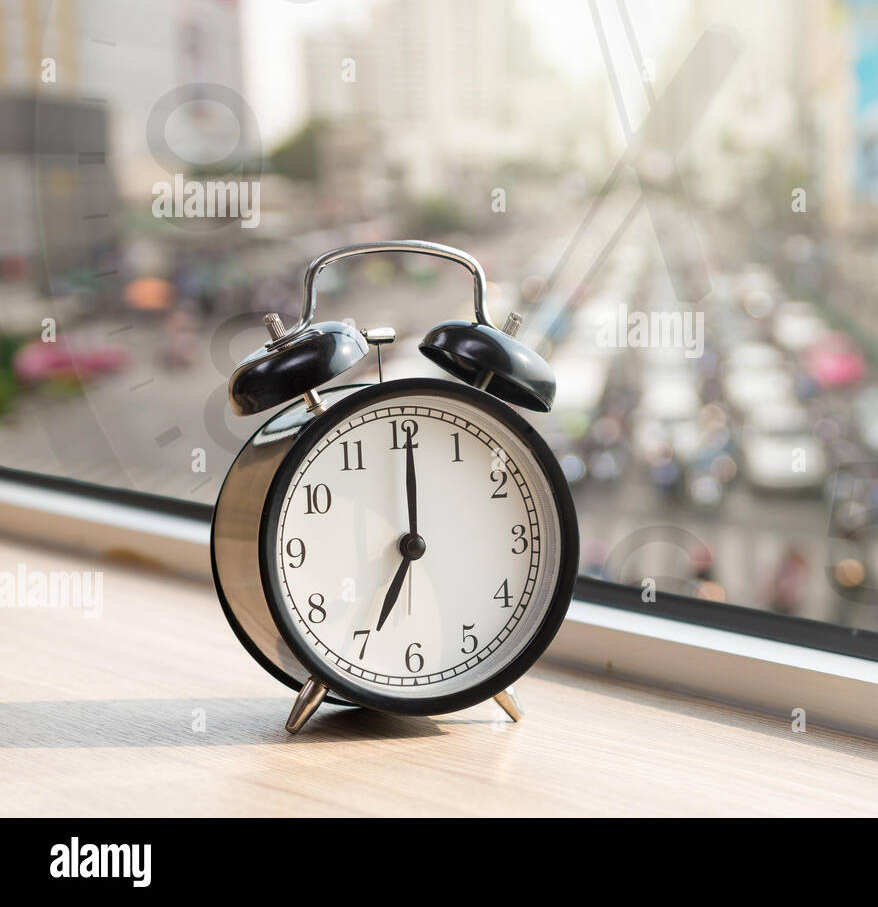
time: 7:00
